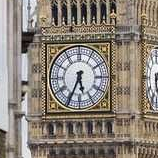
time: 5:34
